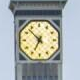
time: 6:52
